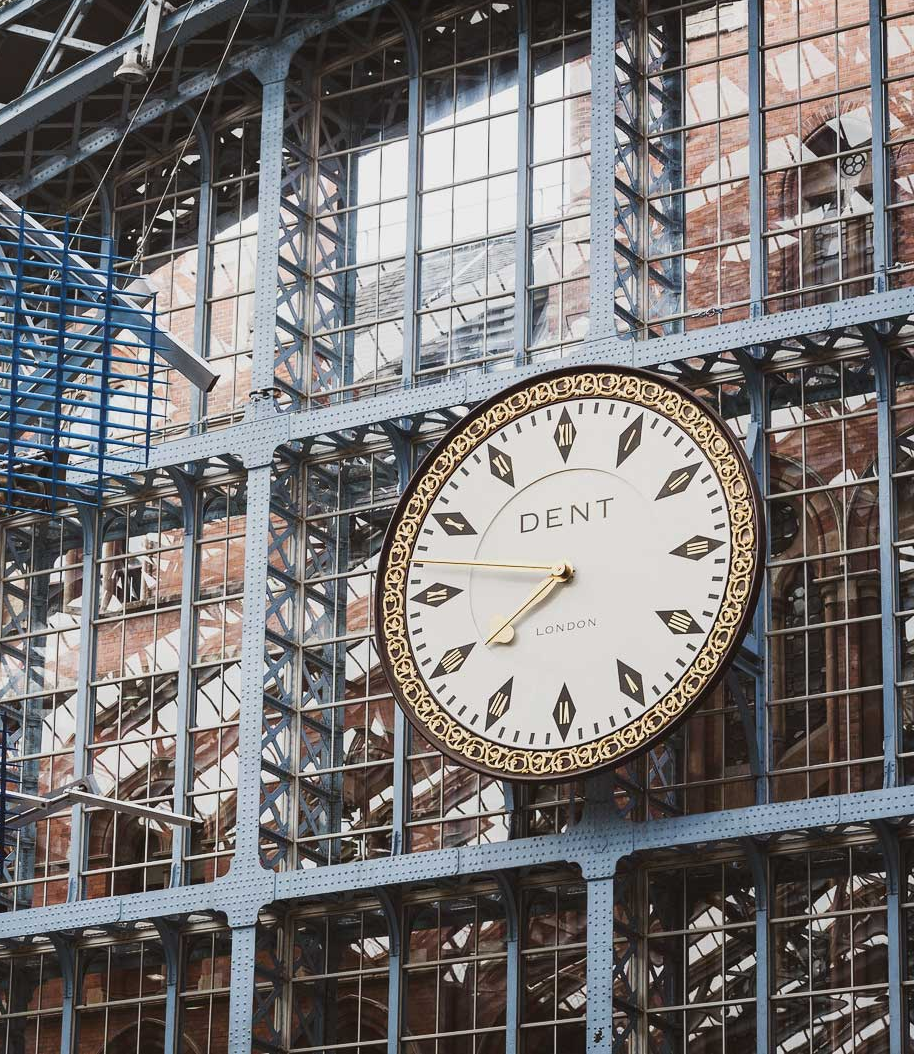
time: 7:46
